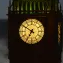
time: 6:50
